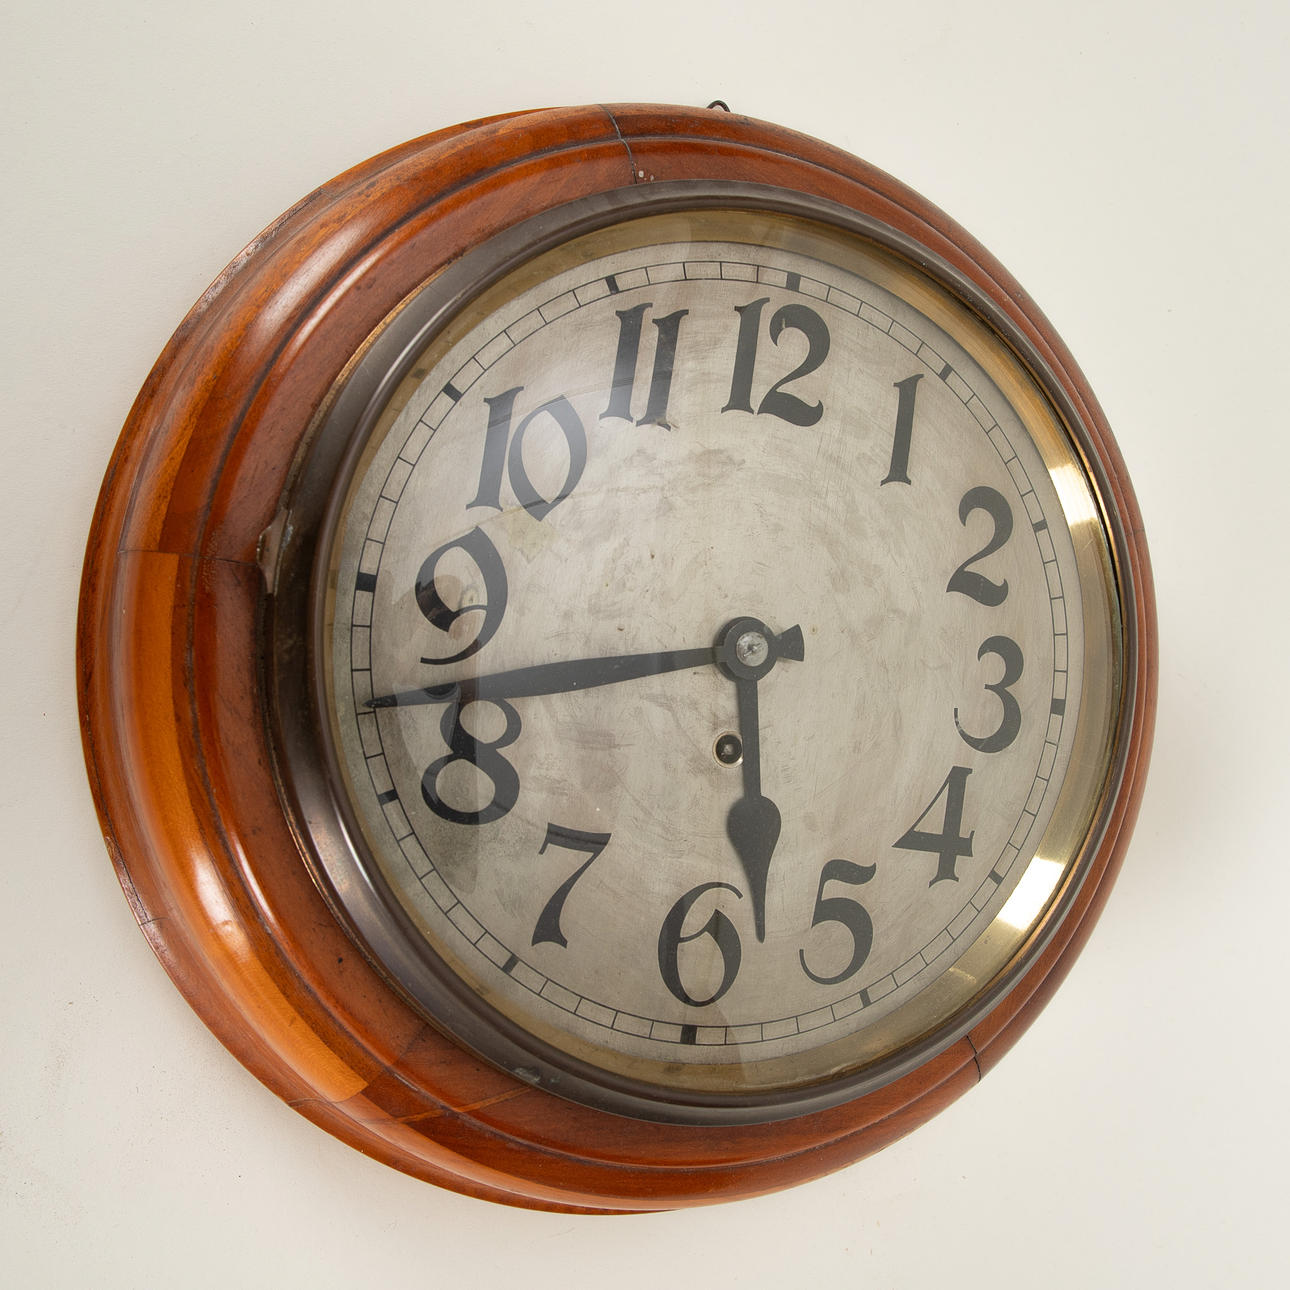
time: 5:42
